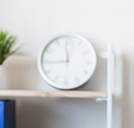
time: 11:44
